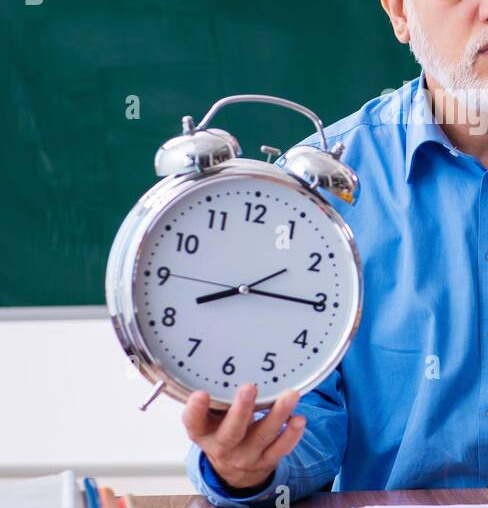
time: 8:15
